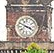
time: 3:48
